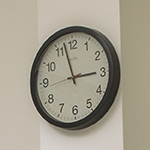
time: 2:57
